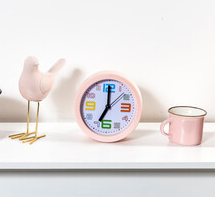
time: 7:00
